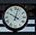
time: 10:02
